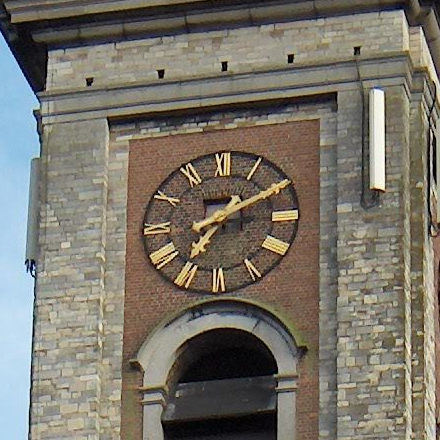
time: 7:10
